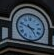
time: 4:48
